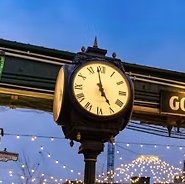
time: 4:58
